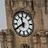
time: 11:40
